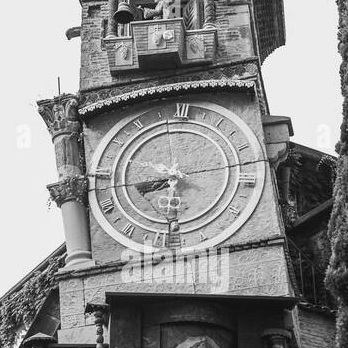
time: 8:29
